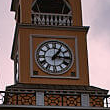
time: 1:16
